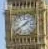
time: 1:39
